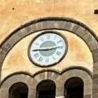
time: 2:45
